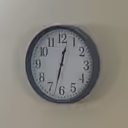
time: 12:32
